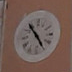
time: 4:53
